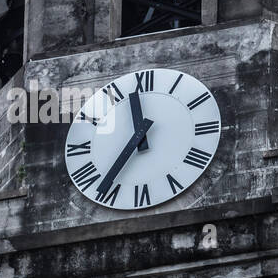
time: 11:35
